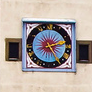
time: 2:24
